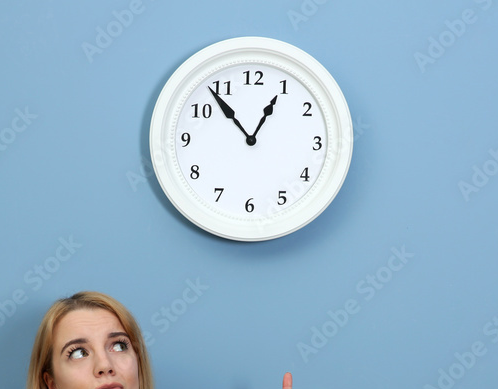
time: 12:53
